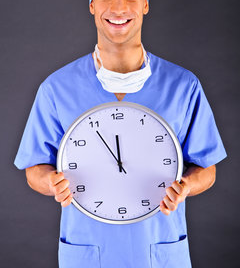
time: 11:54
